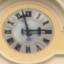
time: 2:57
